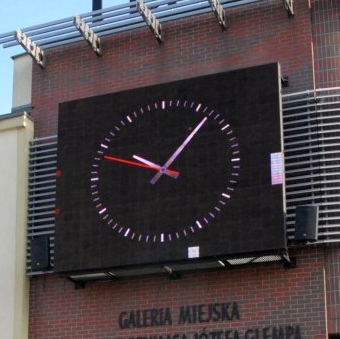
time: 10:07
